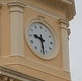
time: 9:28
